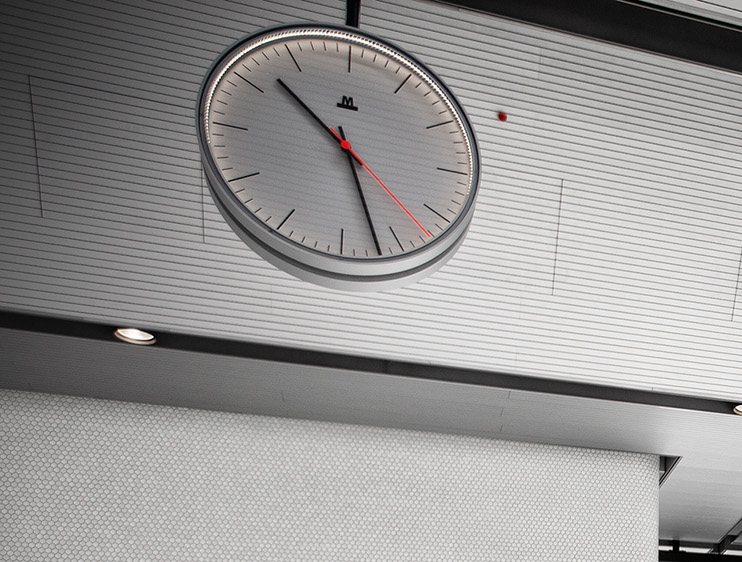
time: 10:26
